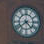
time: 4:38
